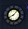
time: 8:07
